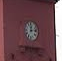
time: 12:13
